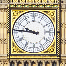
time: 9:45
